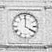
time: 4:00
